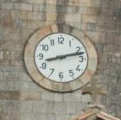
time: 8:12
